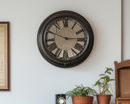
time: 2:48
